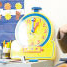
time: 1:00
